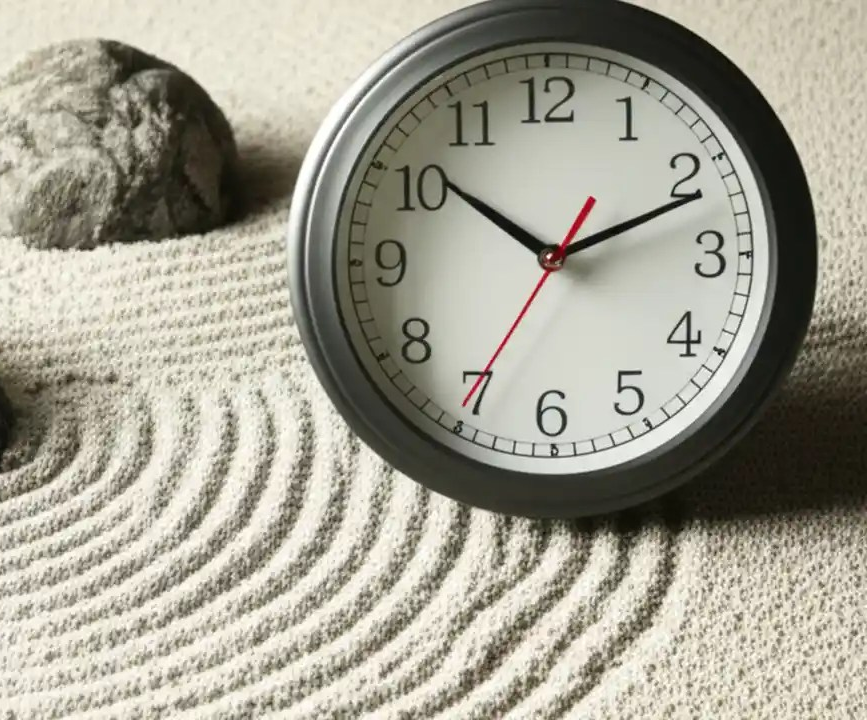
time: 10:11
